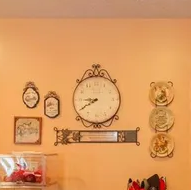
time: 8:39
